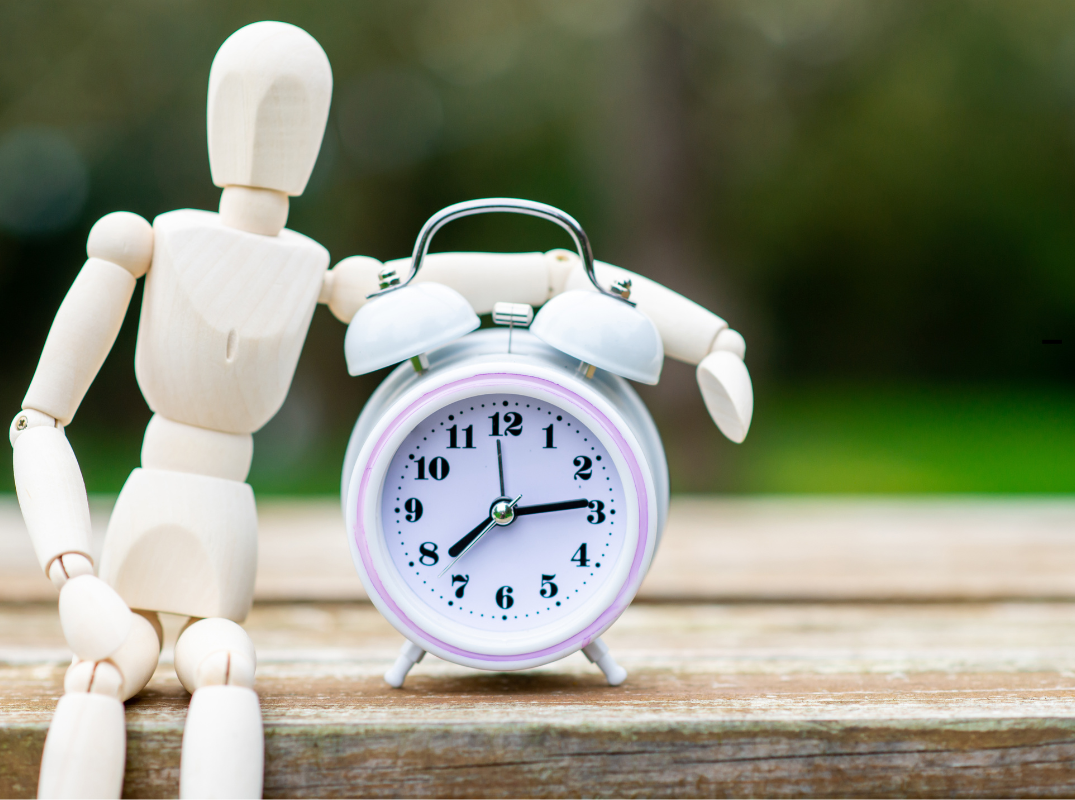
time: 2:38
